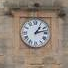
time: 1:12
